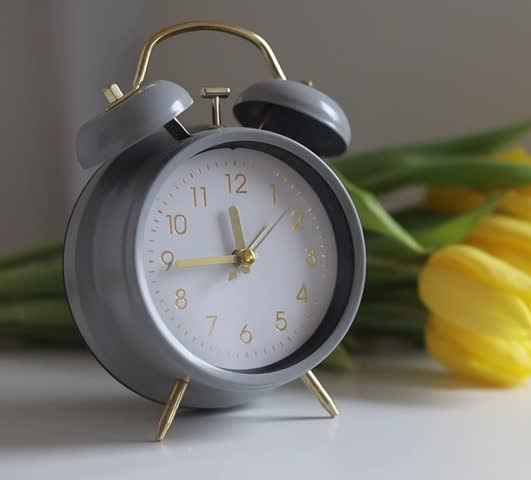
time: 11:44
